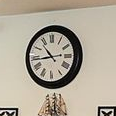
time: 10:43
